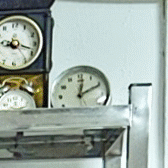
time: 12:10
